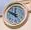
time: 11:49
